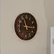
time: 11:16
